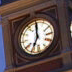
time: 7:00
